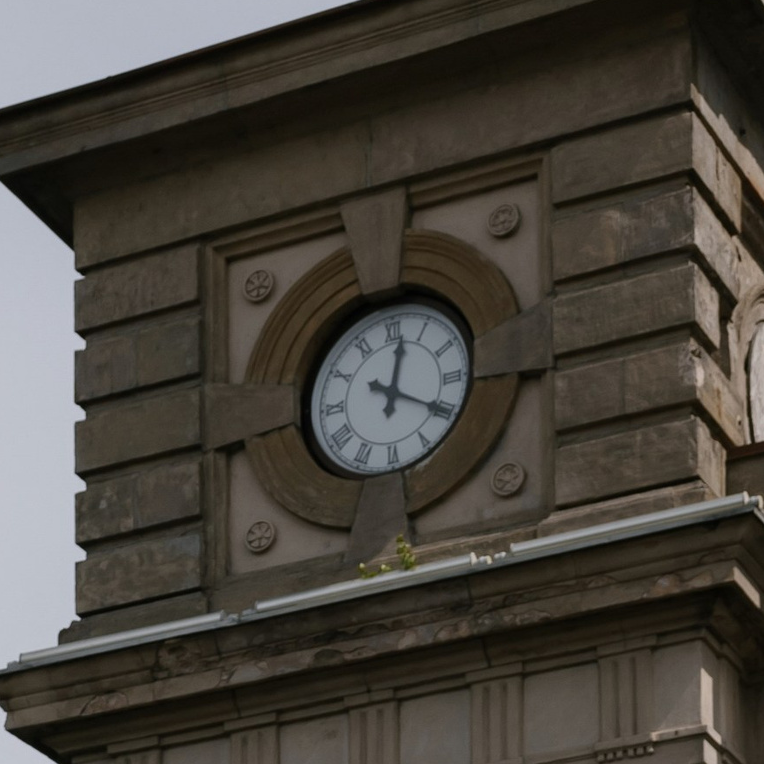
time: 12:19
